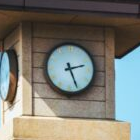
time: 2:26
